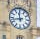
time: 11:42
